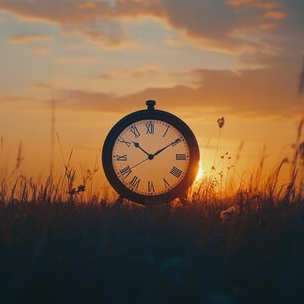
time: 10:09
